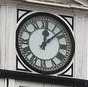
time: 12:08
